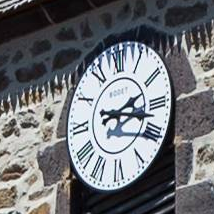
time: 2:17
